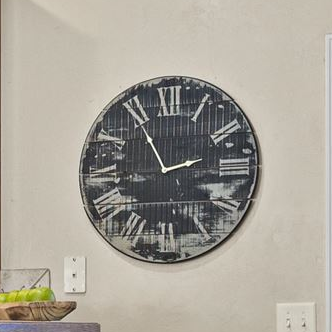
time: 2:54
